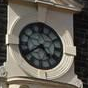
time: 4:39
